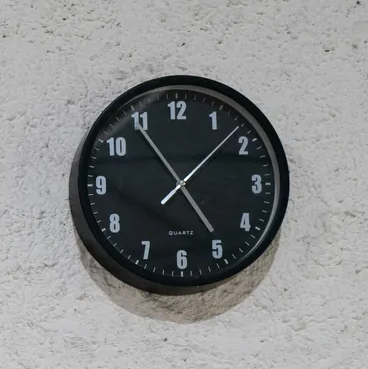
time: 4:54
